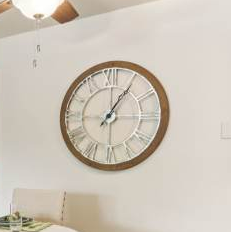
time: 1:05
